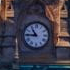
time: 10:45
